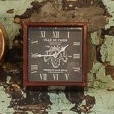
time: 1:44
